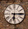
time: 6:15
